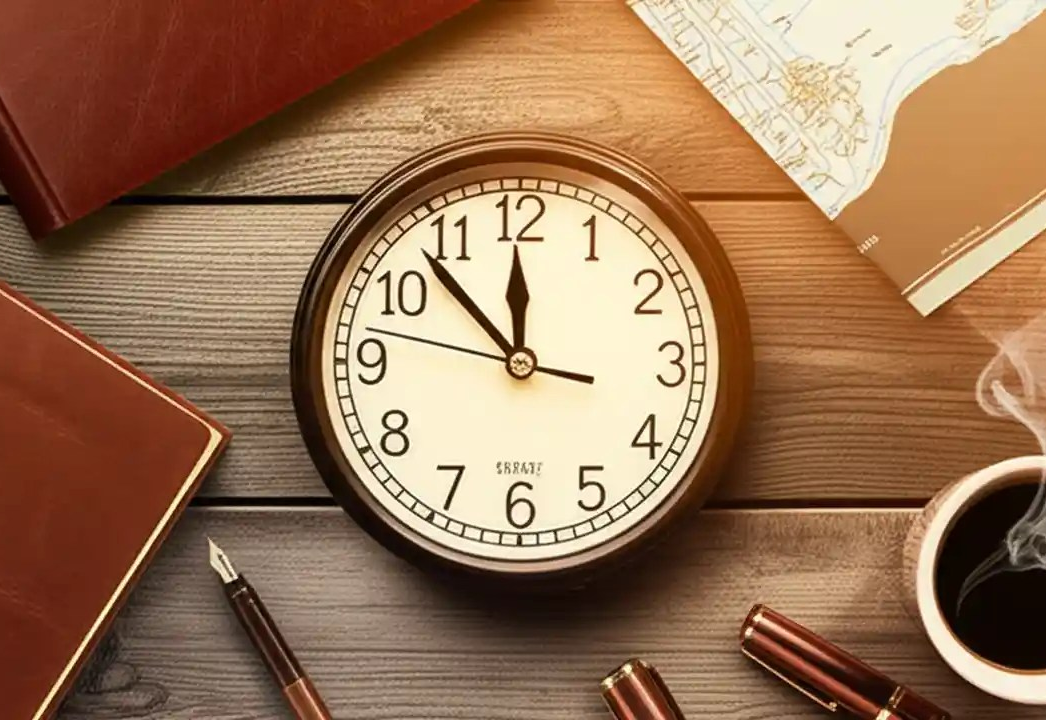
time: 11:52
